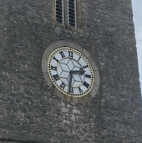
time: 2:31
